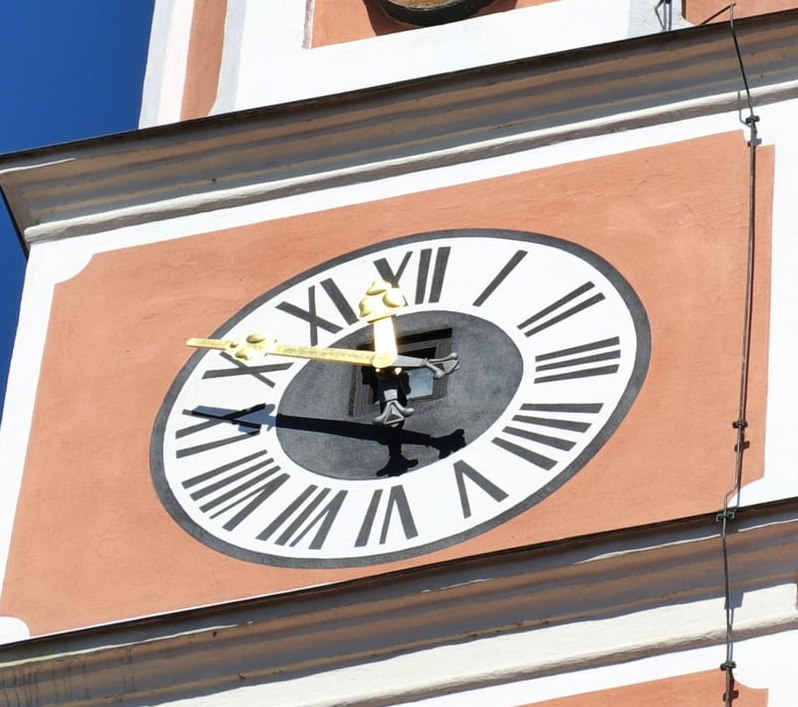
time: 11:46
